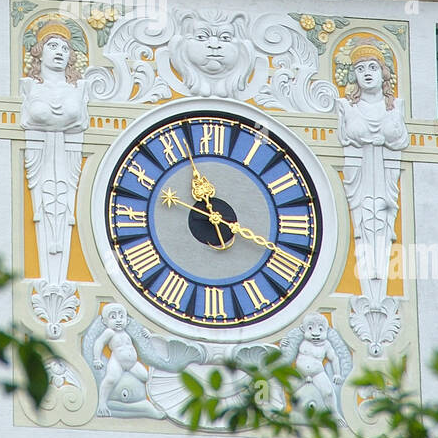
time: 11:18
